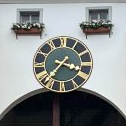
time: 3:36
